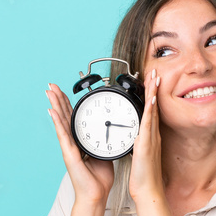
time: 6:16
